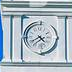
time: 4:40
